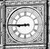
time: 8:45
